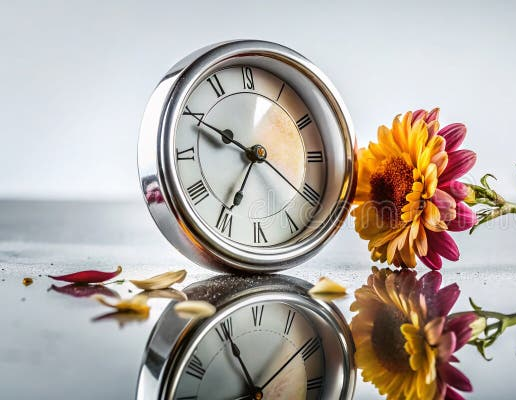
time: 6:49
